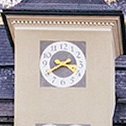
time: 2:40
